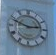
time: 2:48
